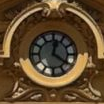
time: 12:20
